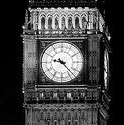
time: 9:22
